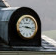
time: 9:17
